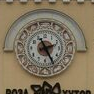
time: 2:24
